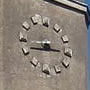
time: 2:42
